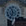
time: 6:56
